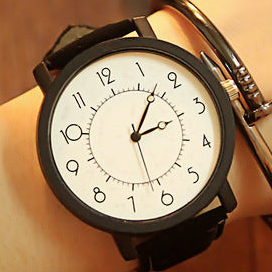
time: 2:03
